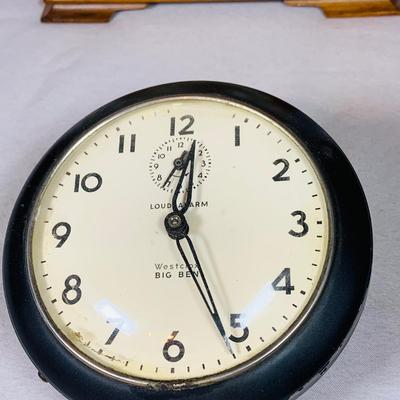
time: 12:26
